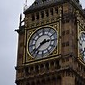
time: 2:38
